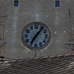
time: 7:06
